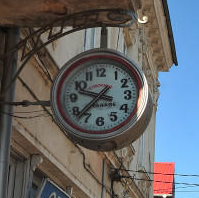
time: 9:37
